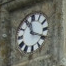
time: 11:18
